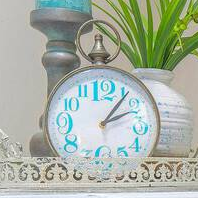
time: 2:06
